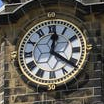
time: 12:21
